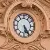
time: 5:24
